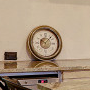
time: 10:07
